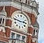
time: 2:46
